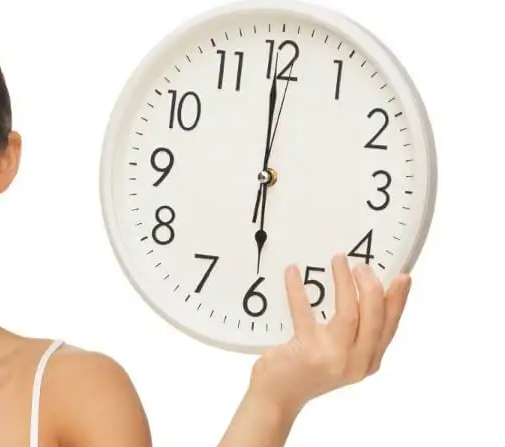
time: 5:59
